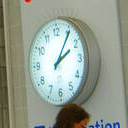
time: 2:05
